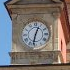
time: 12:32
